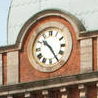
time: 10:24
